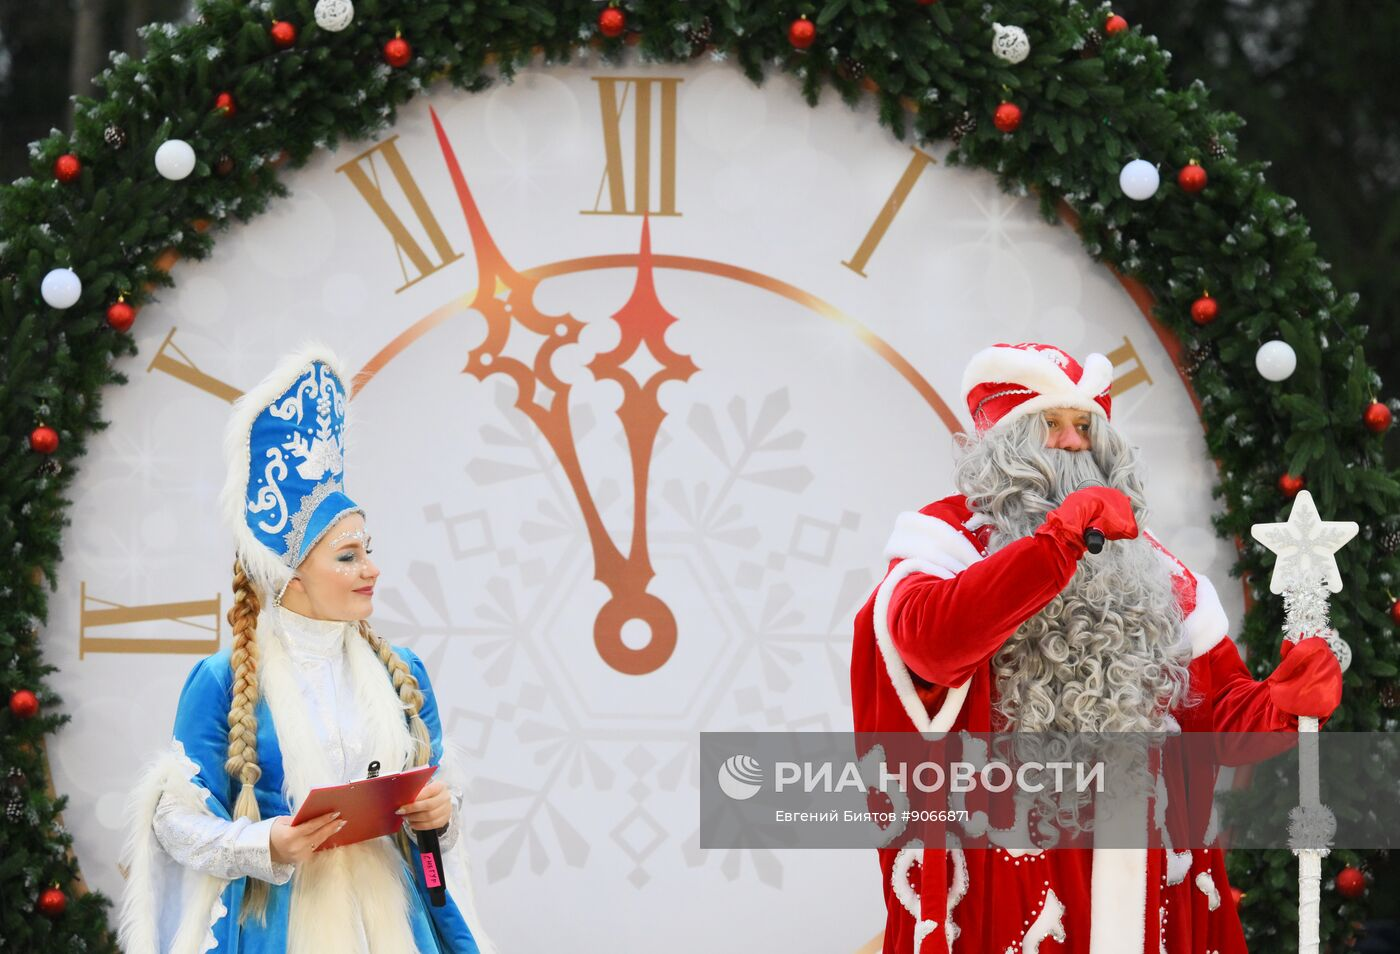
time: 11:55
